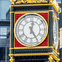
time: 12:24
